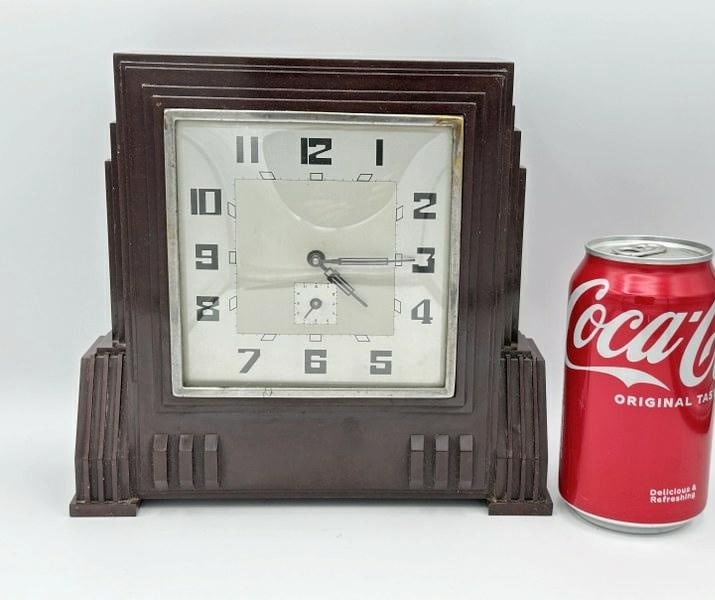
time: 4:14
